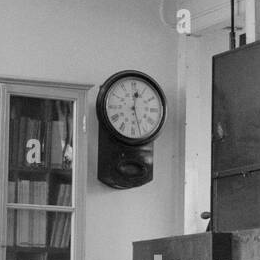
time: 12:26
